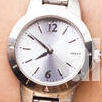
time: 7:50
